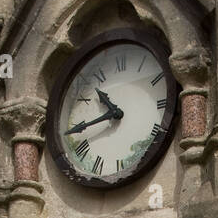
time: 10:43
